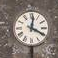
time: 12:19
